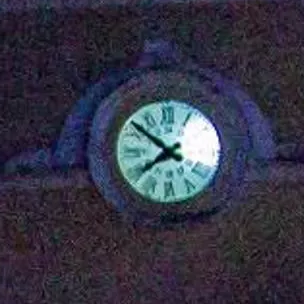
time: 7:51
